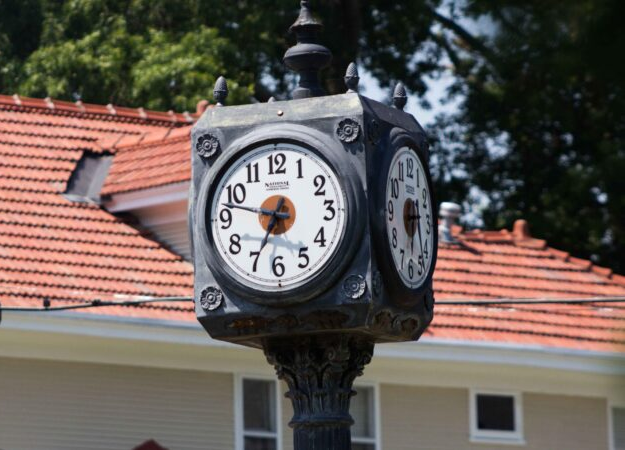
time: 6:47
